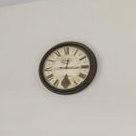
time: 12:15
